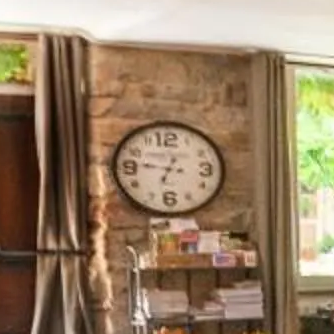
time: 6:46
